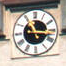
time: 11:16
